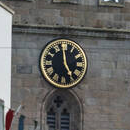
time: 4:59
